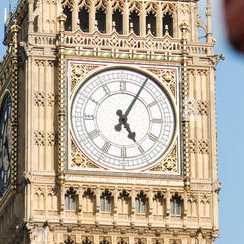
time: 5:05
